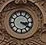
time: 3:20
